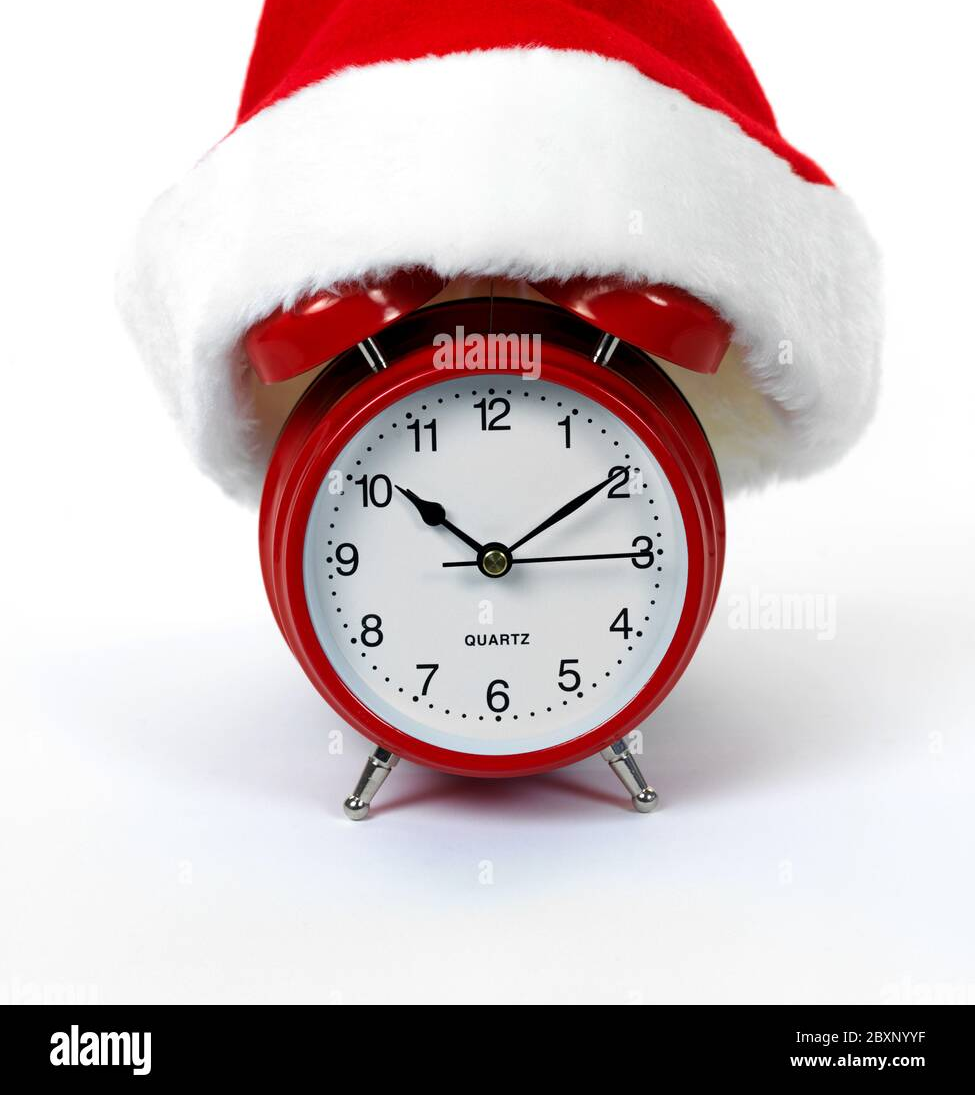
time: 10:09
